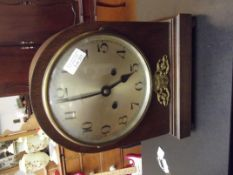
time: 1:43
